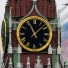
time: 11:07
